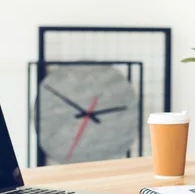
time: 2:50
